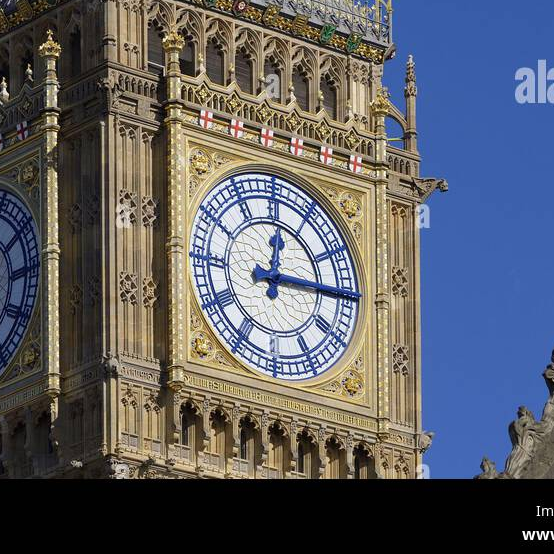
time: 12:14
